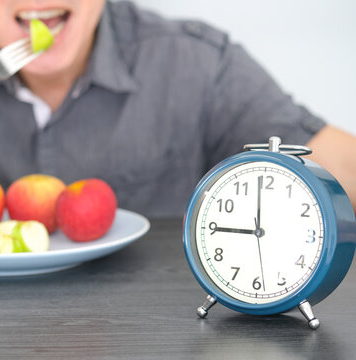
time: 8:59
